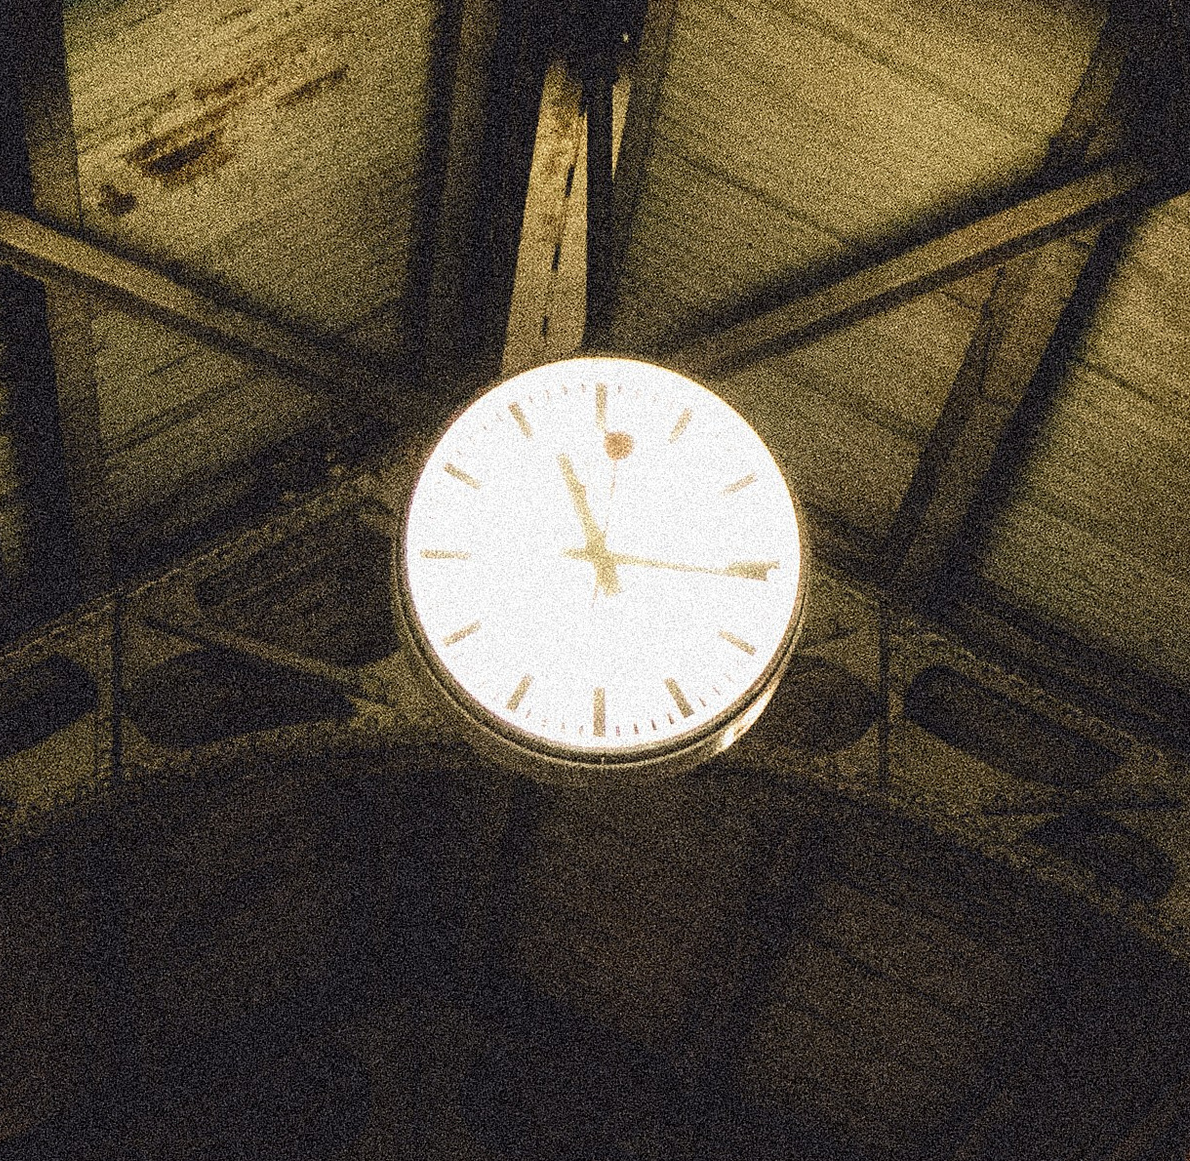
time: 11:15
